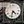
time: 4:32
